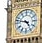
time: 4:47
